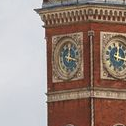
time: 12:16
